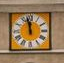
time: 11:58
